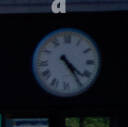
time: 4:24
